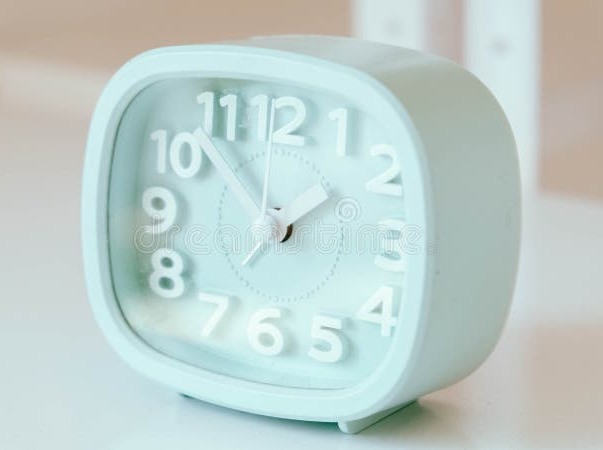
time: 1:52
